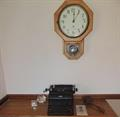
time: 12:05
